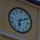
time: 6:10
